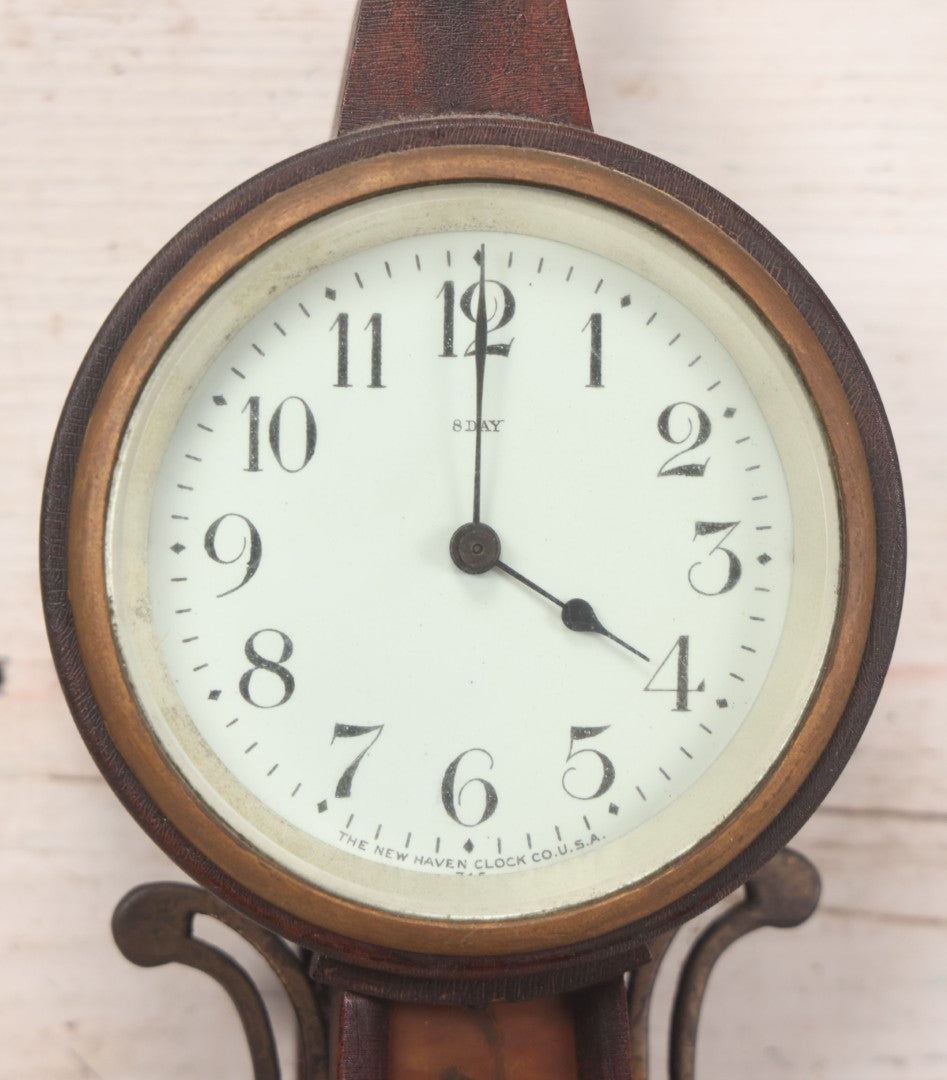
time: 4:00
